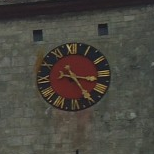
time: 3:24
